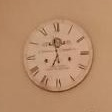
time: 6:58
